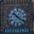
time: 10:20
